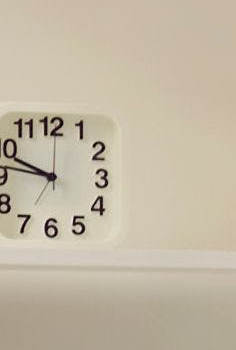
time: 9:46
